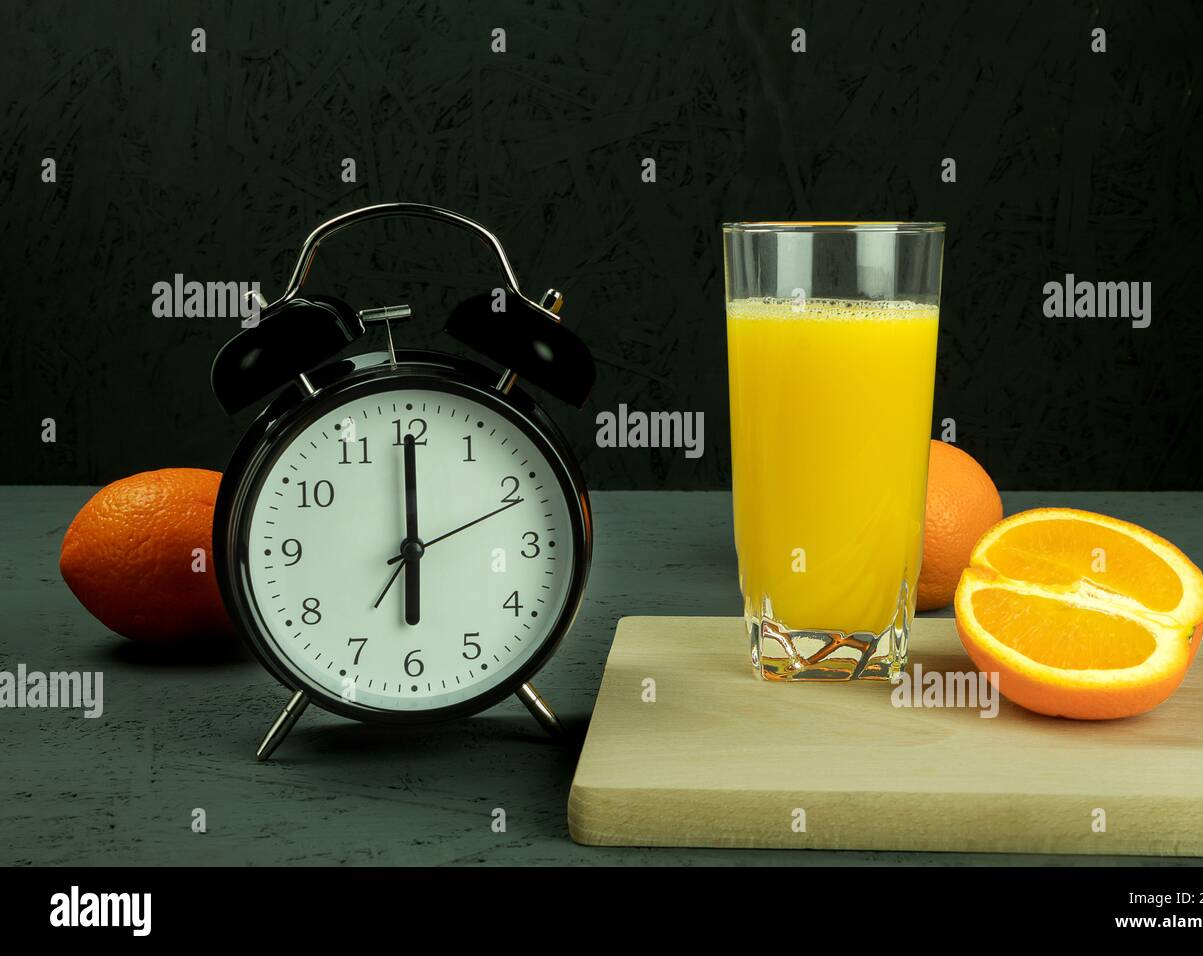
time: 6:00
